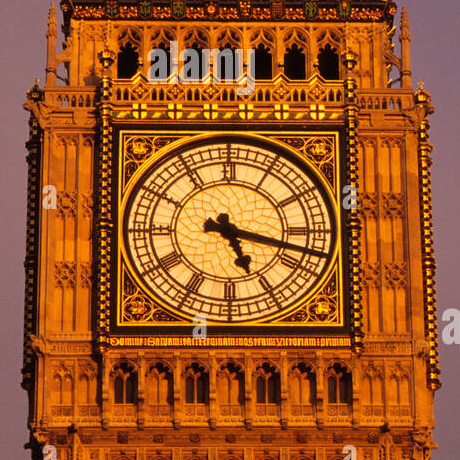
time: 5:17
